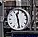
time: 11:28
